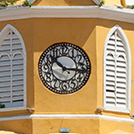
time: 10:15
